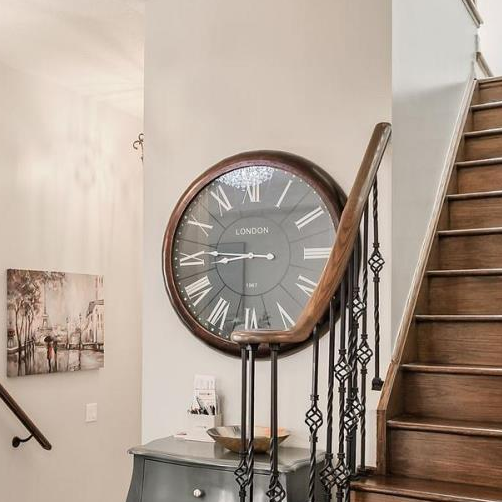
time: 8:45
